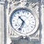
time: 10:34
